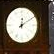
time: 12:09
